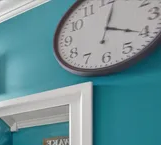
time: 4:02
